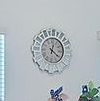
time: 4:02
